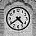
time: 4:38
